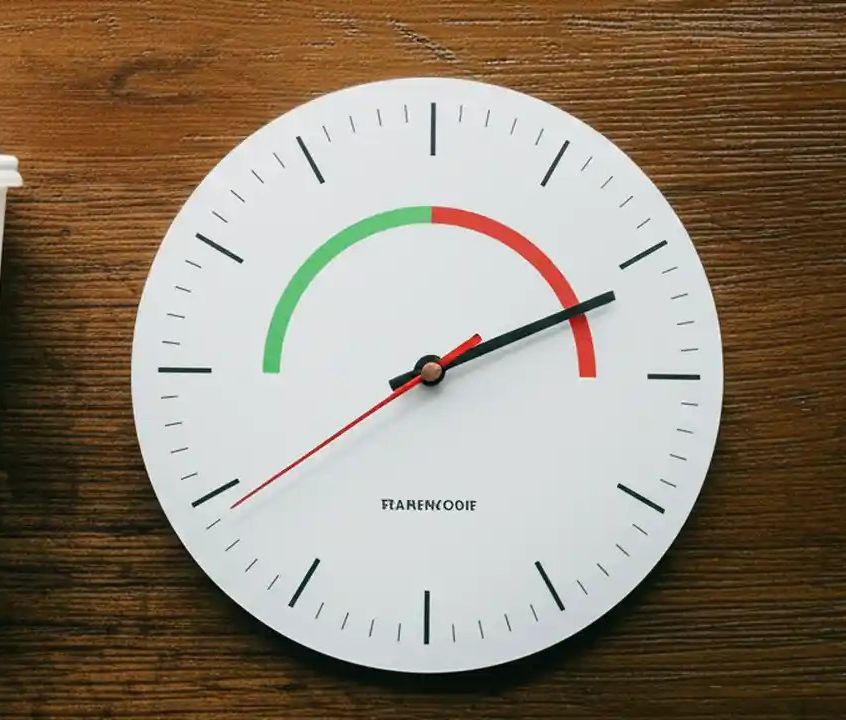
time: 2:11
